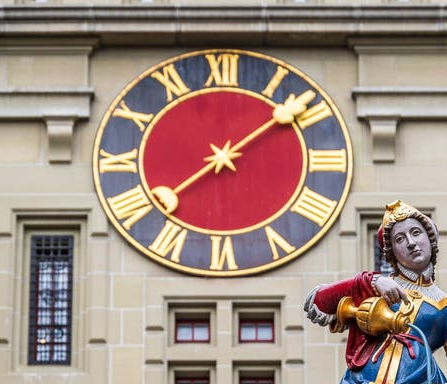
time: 1:38
